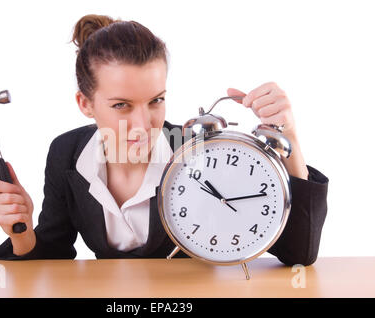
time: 10:11
